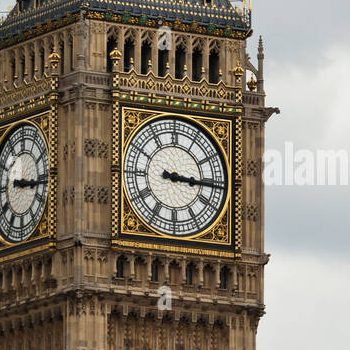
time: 3:15
